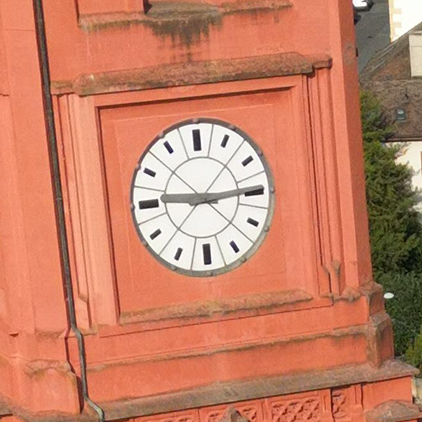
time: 9:14
